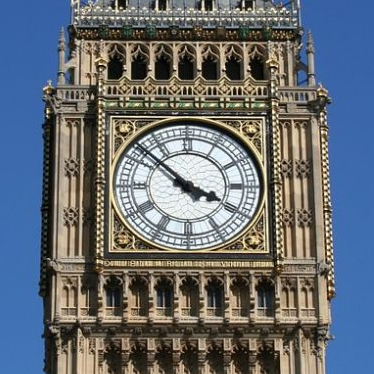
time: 3:52
